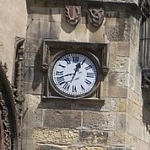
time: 12:42
